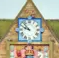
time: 9:53
